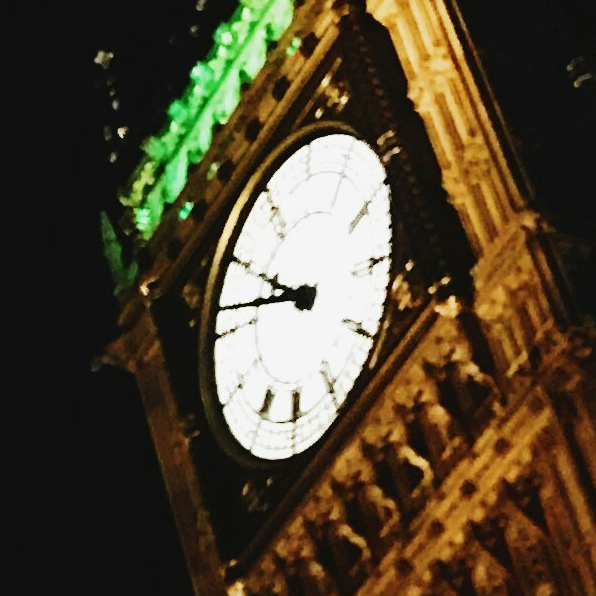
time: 9:46
